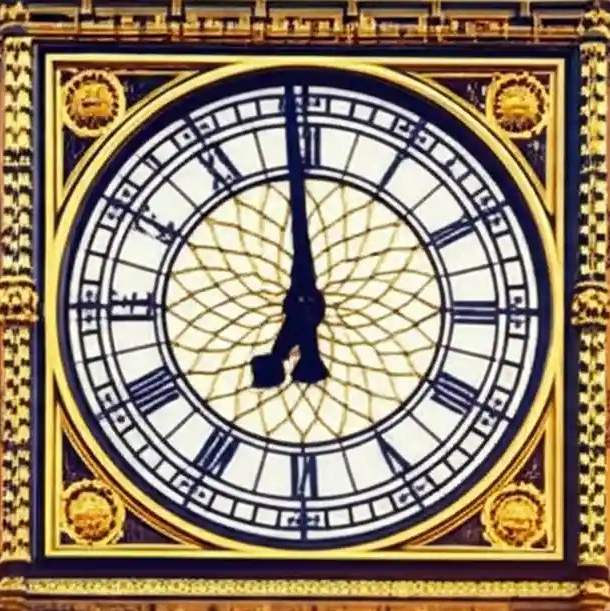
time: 6:58
